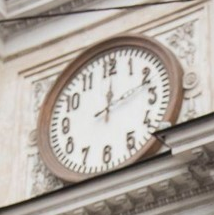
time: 12:11
